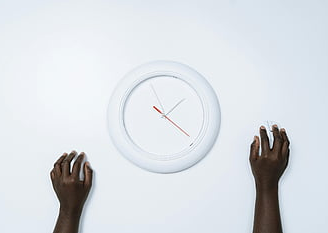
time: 1:19
